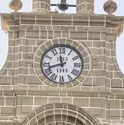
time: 11:41
